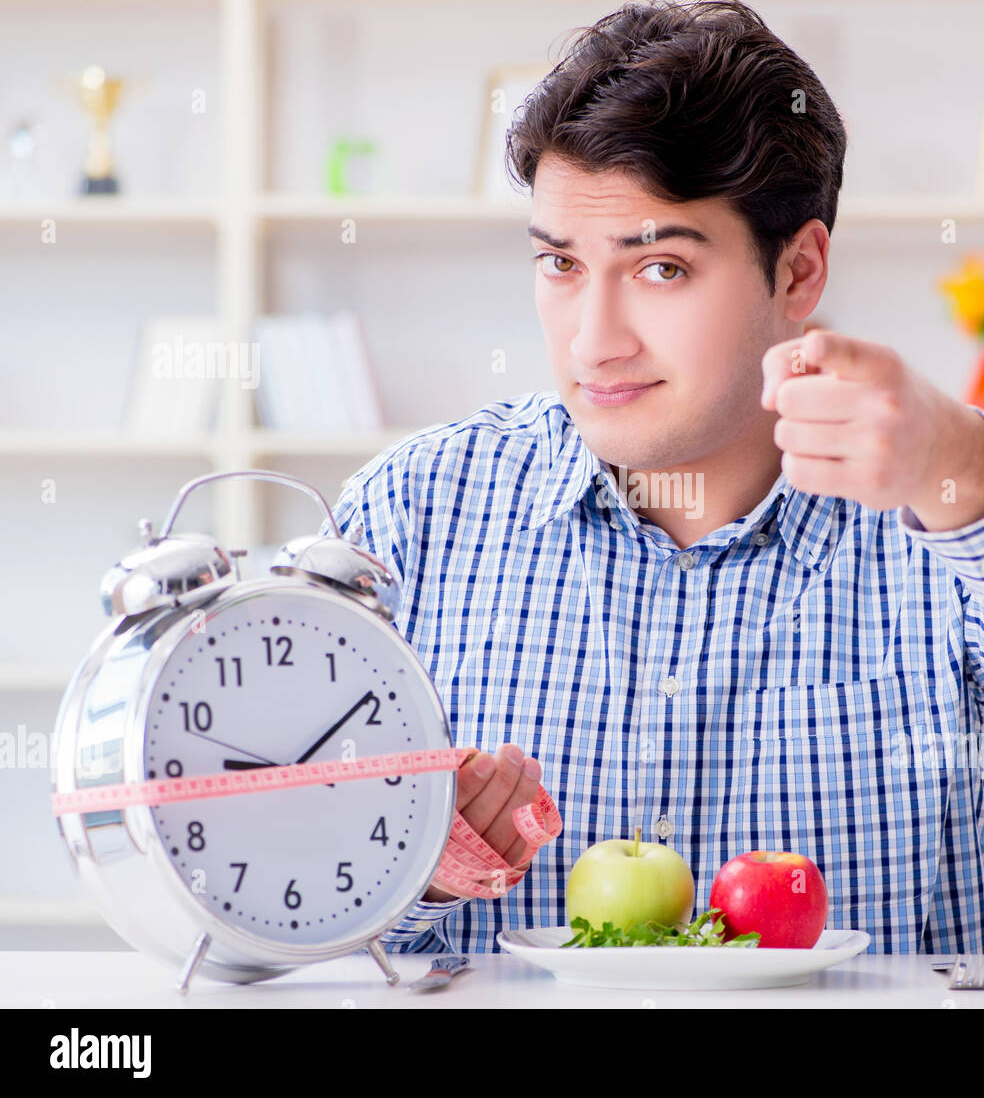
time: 9:09
